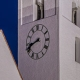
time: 8:41
